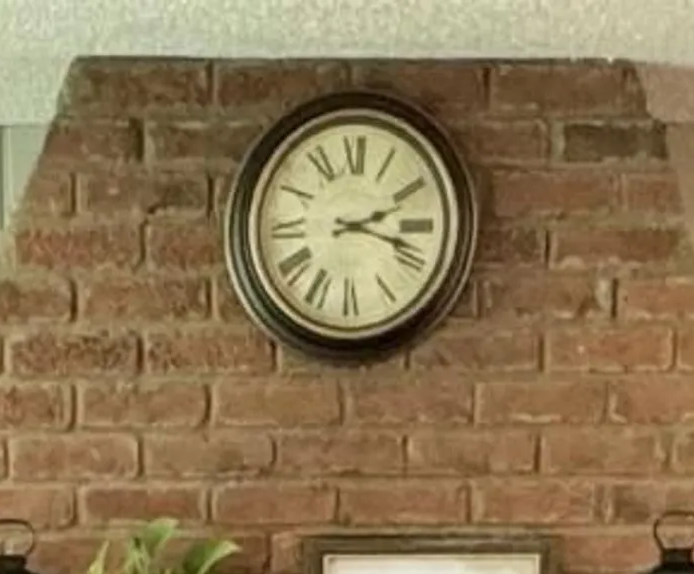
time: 2:18
